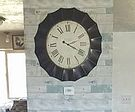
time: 2:19
